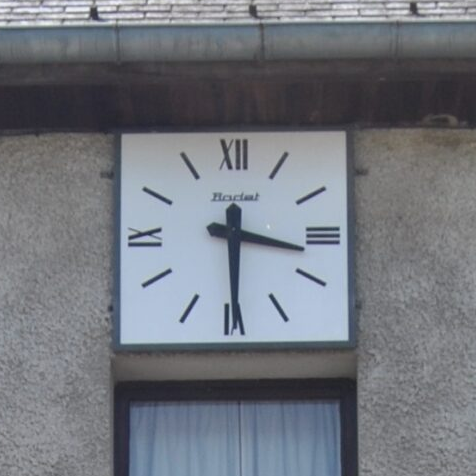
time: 3:29
